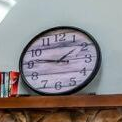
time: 1:46
